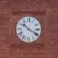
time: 10:19
